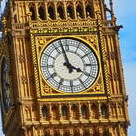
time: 3:58
